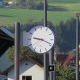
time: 9:18
